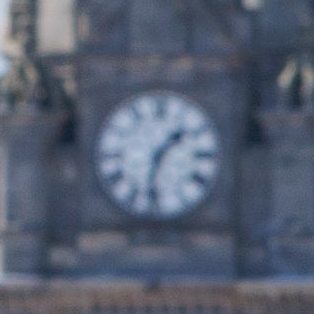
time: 1:32
